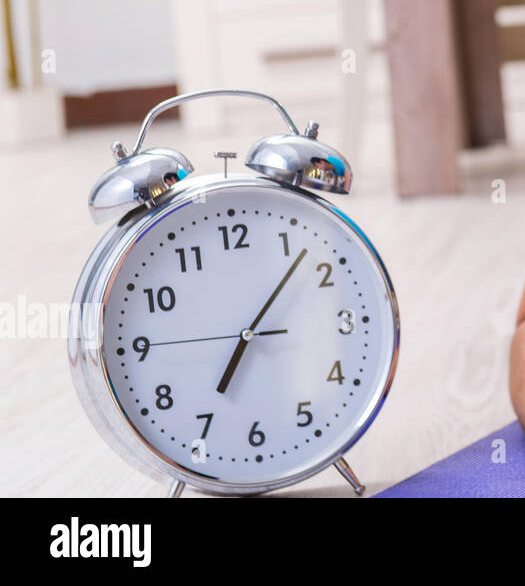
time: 7:07
